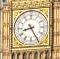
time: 8:25
